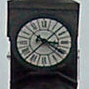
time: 3:20
